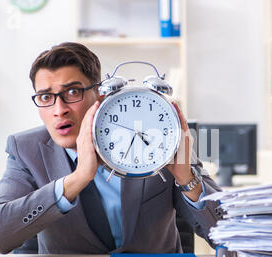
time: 4:34
